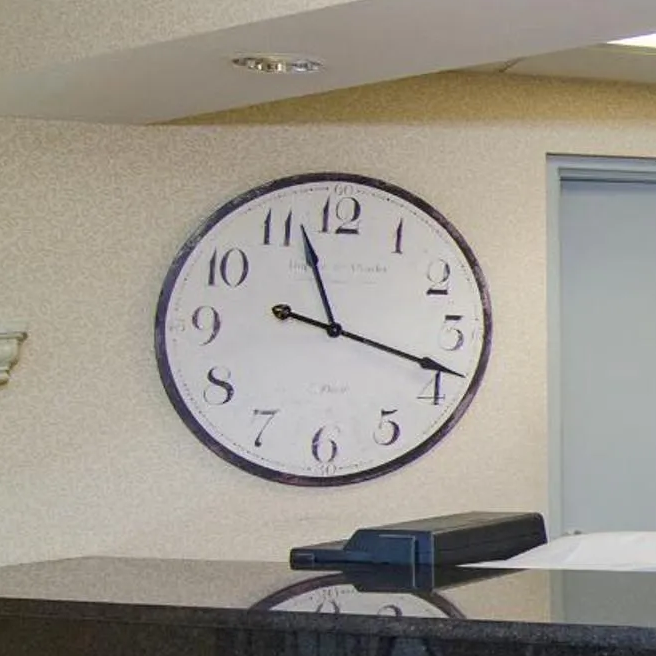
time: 11:18
